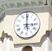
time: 2:59
